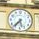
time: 7:27
